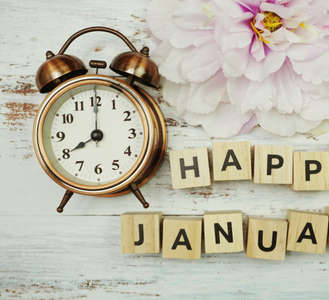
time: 8:00
